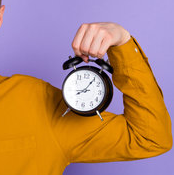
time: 8:06
